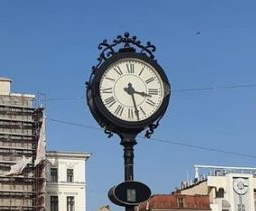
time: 3:27
